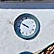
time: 9:50
